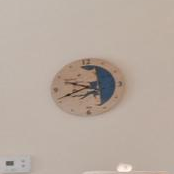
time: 9:41
